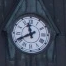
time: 11:40
